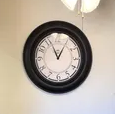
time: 12:56
